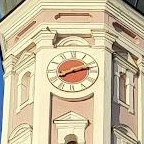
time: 8:12
